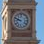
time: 9:48
